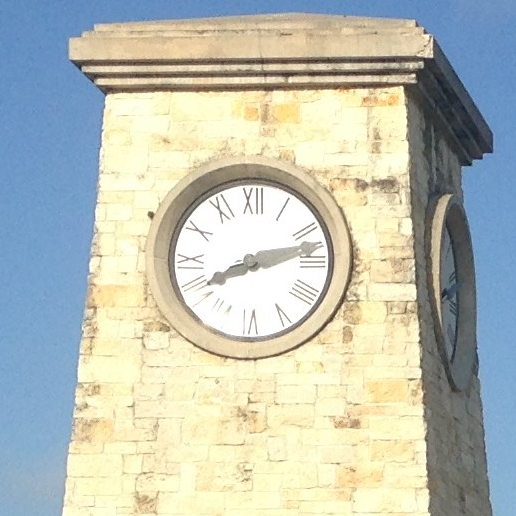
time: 8:12
